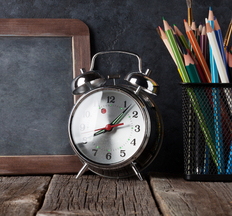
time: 8:07
